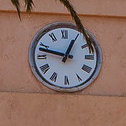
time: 12:47
